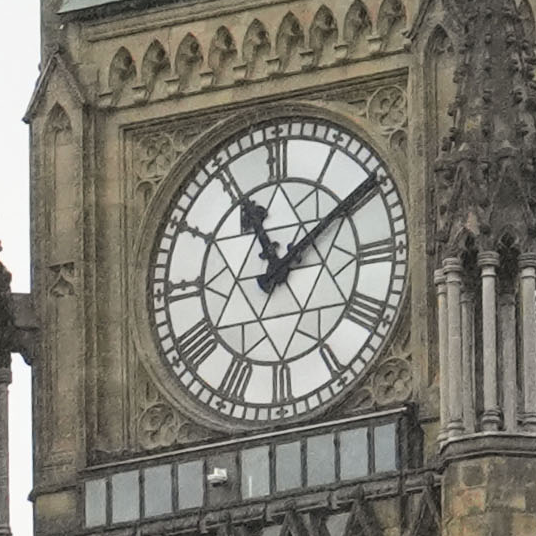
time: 11:09
